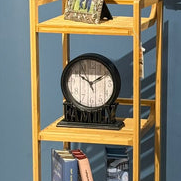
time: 1:51
